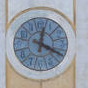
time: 12:19
